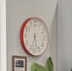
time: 5:33
